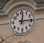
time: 12:14
